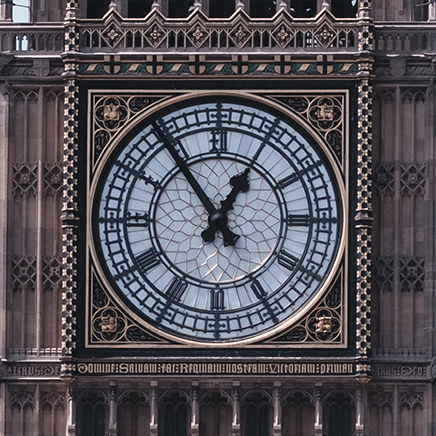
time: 12:54
